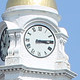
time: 3:14
